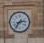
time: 2:36
